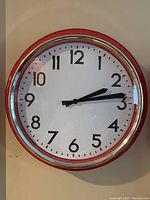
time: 2:13
